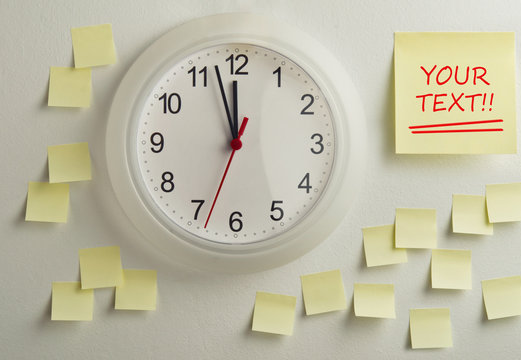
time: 11:57
